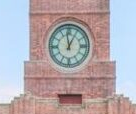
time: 12:58
